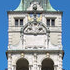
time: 2:46
